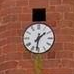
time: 1:32
